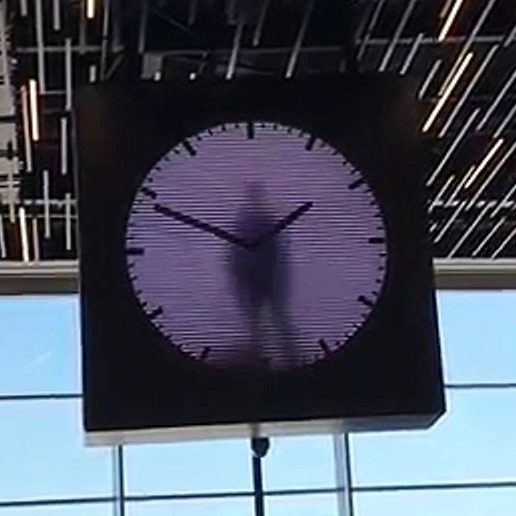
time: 1:49
